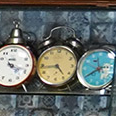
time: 4:43
